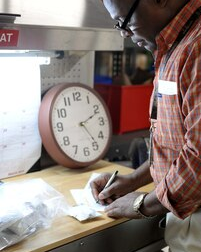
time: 2:23
